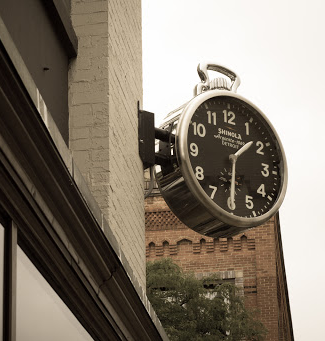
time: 1:30
